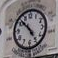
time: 4:52
